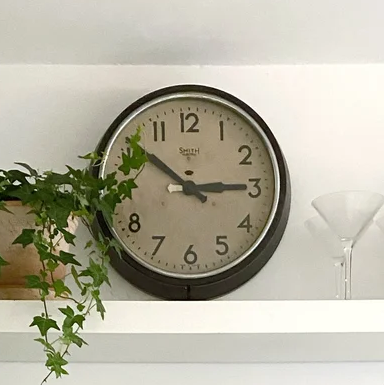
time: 2:51
